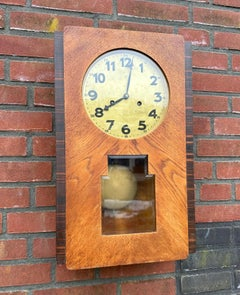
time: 8:01
